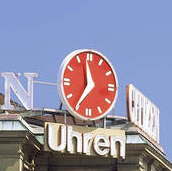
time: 11:35
